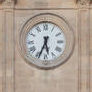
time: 5:33
